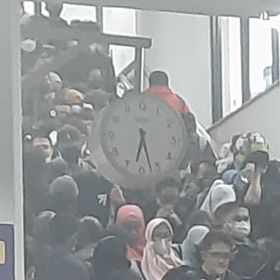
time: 6:27
